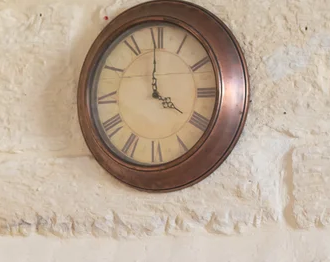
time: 4:00
